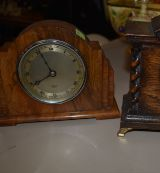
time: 7:55
